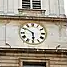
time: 5:51
